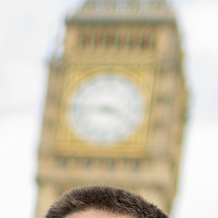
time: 3:43
